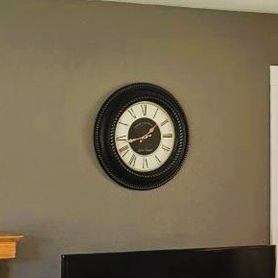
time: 1:42
